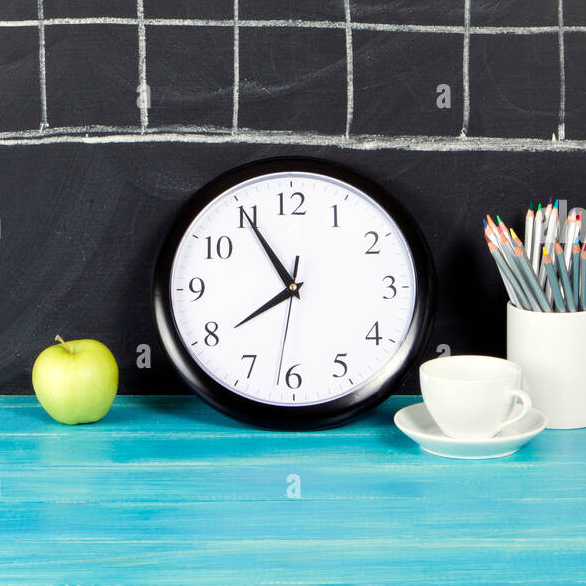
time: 7:54
